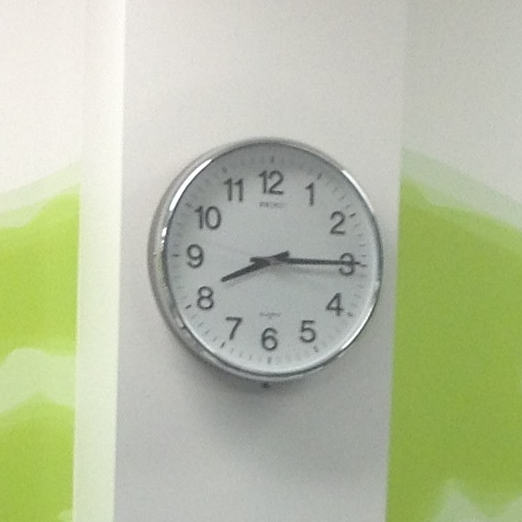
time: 8:14
